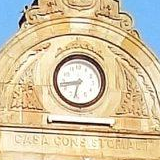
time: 8:32
